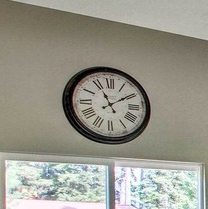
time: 11:09
